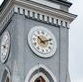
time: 10:11
